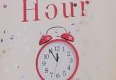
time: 11:54
